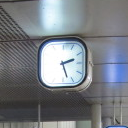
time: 2:27
